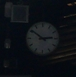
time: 2:50
